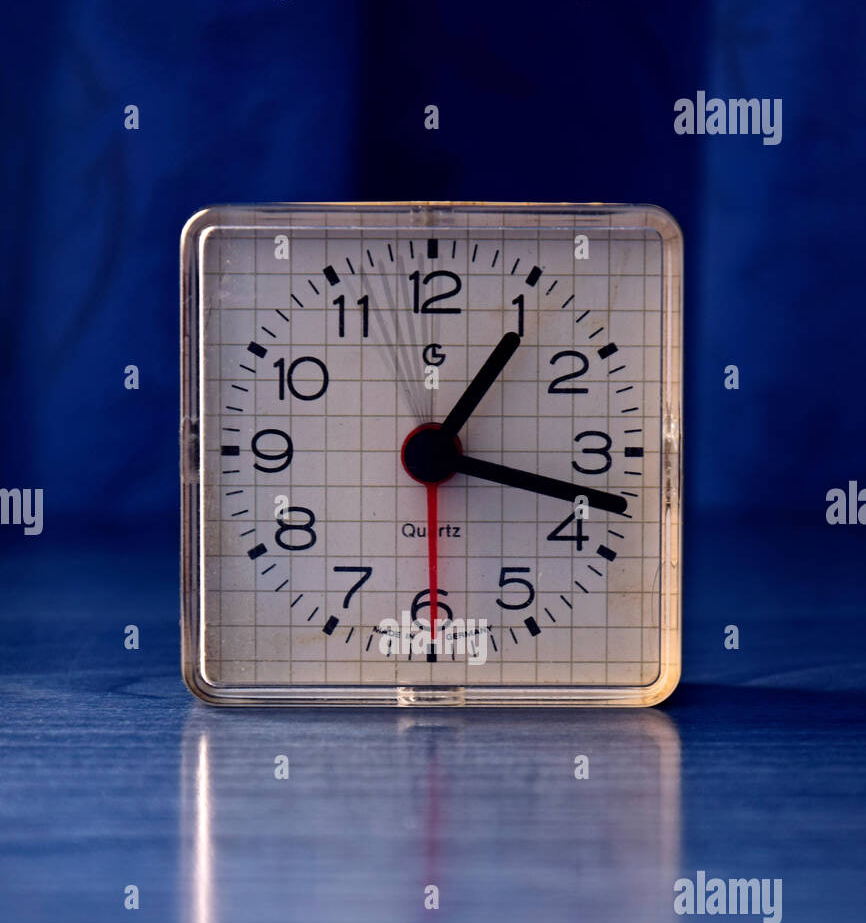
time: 1:17
